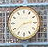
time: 2:38
